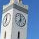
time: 7:00
